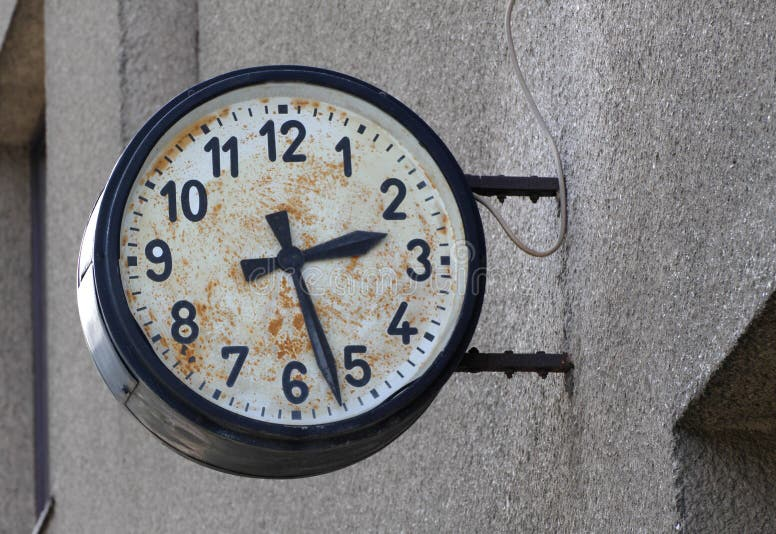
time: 2:26
